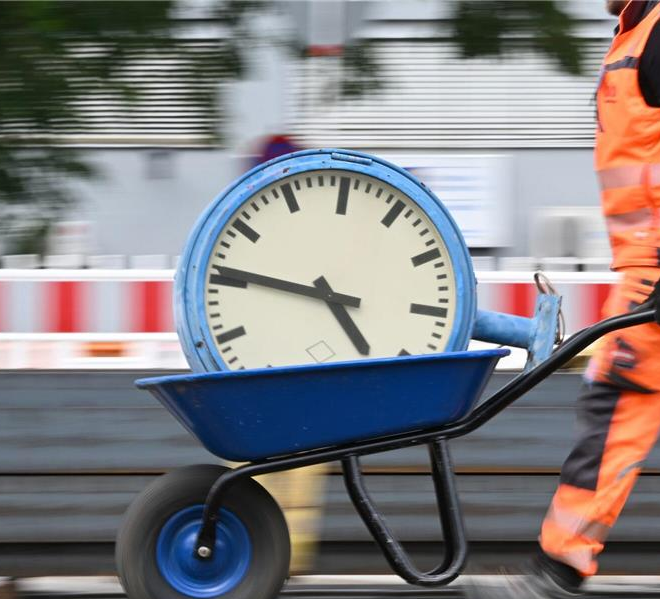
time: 4:46
